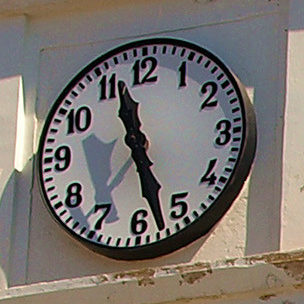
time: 11:27
